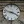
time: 3:47
